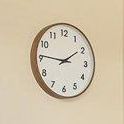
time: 1:46
